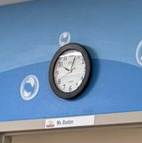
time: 10:02
